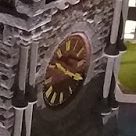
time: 10:19
